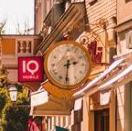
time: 2:31
